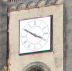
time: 3:50
